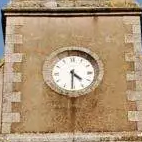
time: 4:30
